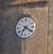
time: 7:20
